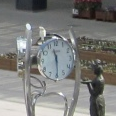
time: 11:29
